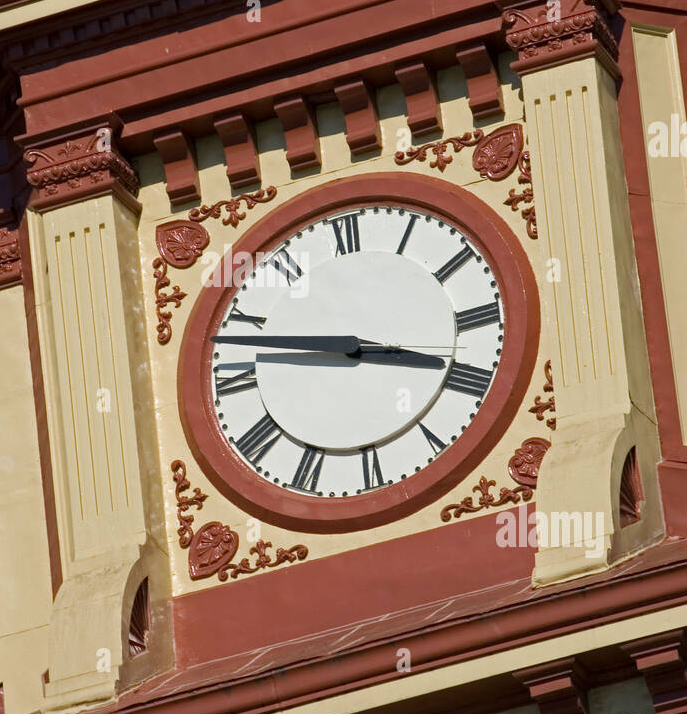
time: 3:47
